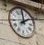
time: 1:59
